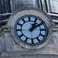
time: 1:09
